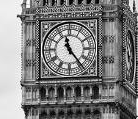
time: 11:23
